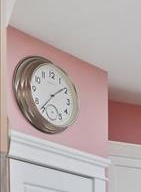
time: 1:36
